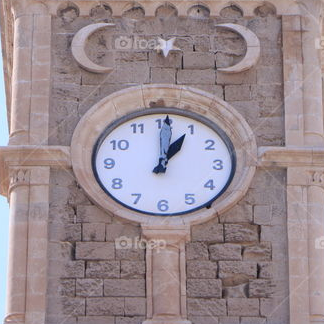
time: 1:00
